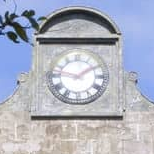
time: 1:46
